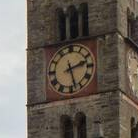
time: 2:27
